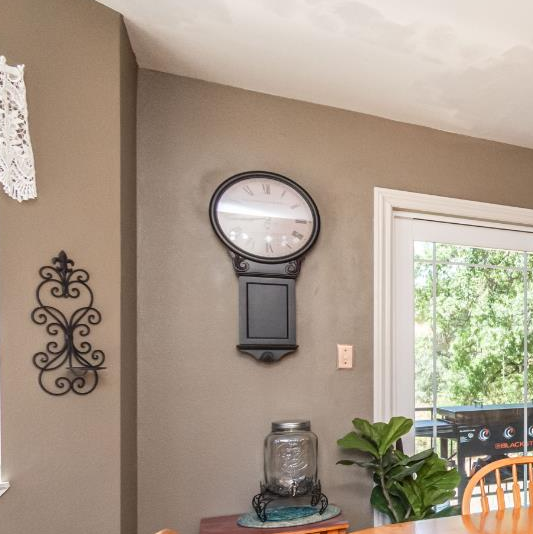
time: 2:46
